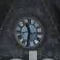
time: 11:32
